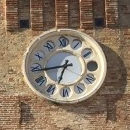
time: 6:44
